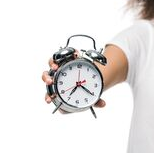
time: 7:20
